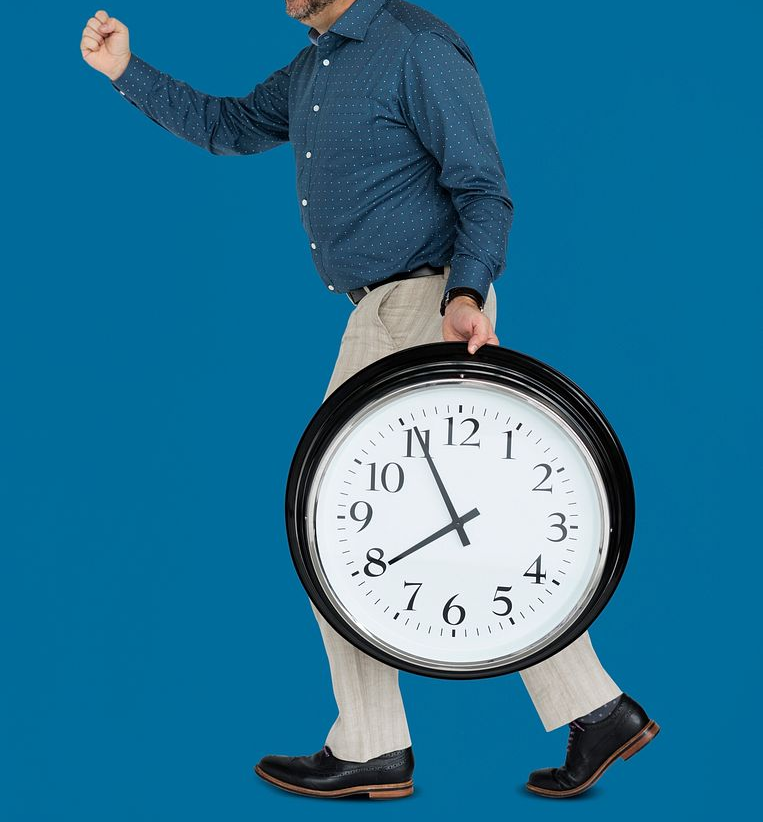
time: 7:55
